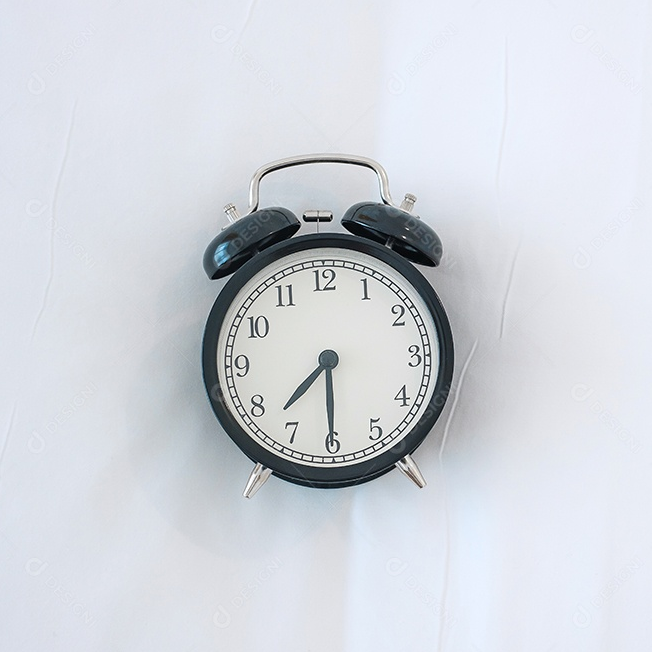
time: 7:30
